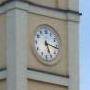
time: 5:16
